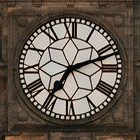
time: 7:11
